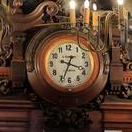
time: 3:34
